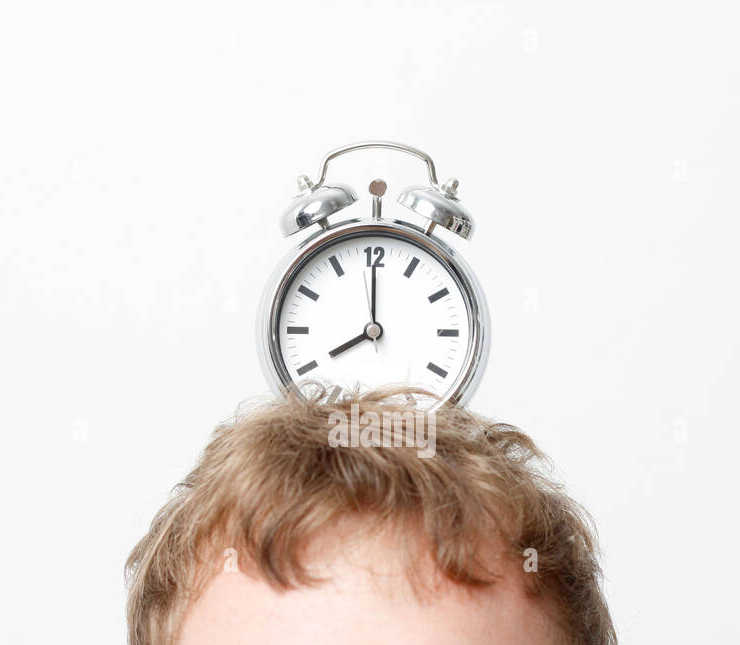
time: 8:00
